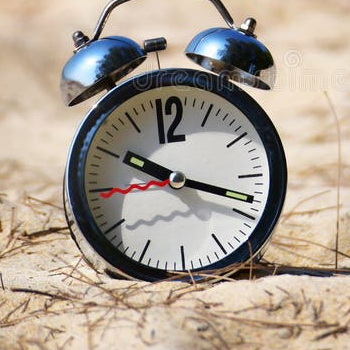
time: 10:18
